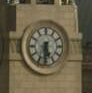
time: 5:31
